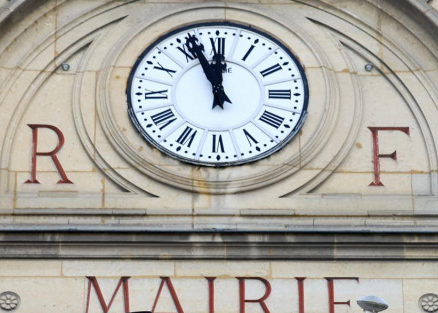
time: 11:56
